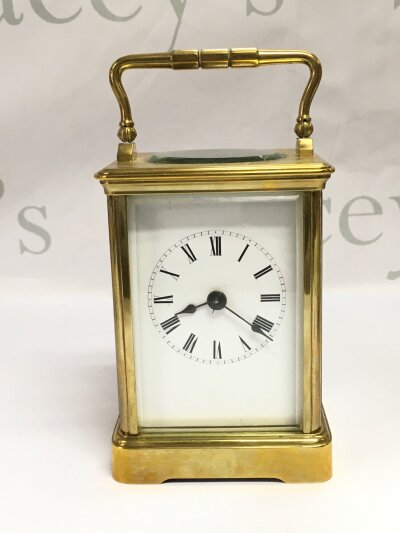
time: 8:20
